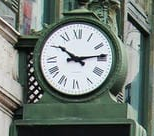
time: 10:13
